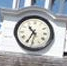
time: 10:34
